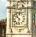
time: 10:32
